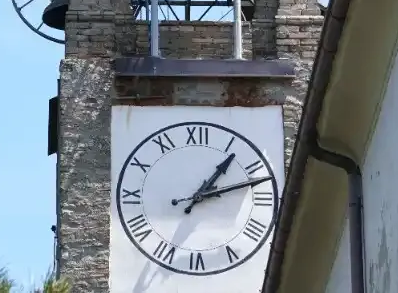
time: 1:12
